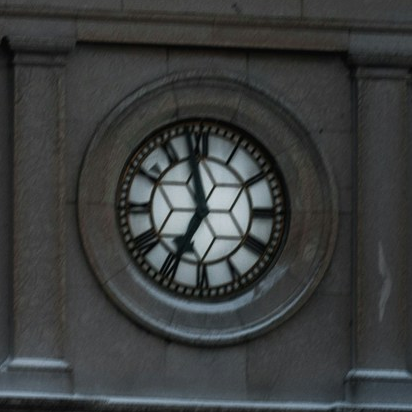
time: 6:57
